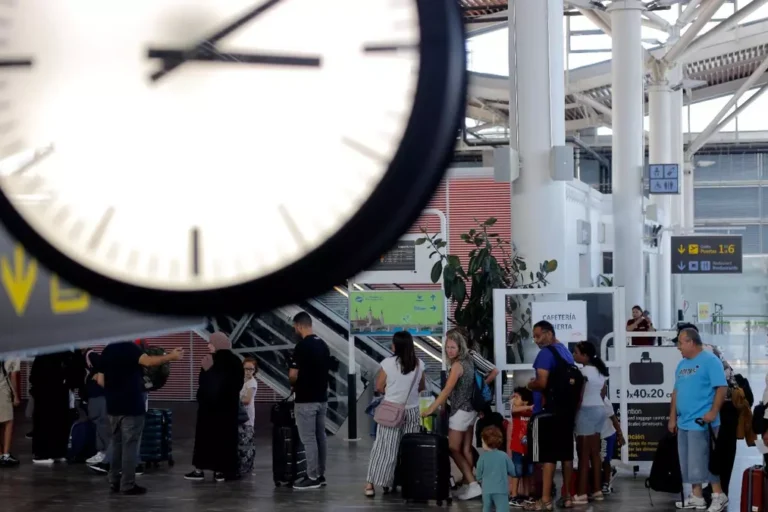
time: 3:09
